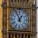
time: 12:55
